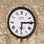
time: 6:14
